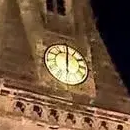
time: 6:00
